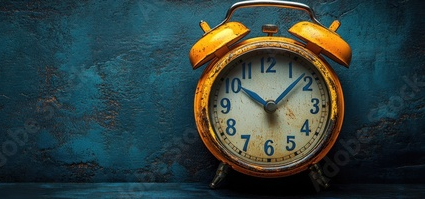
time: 10:07
